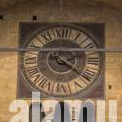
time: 2:21
